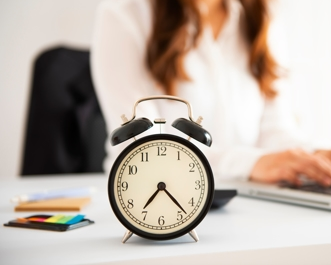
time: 7:23
